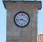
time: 3:43
